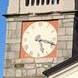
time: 5:18
